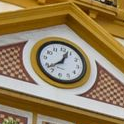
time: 12:37
